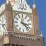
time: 3:22
